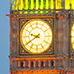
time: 9:39
